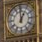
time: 12:59
